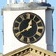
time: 12:40
